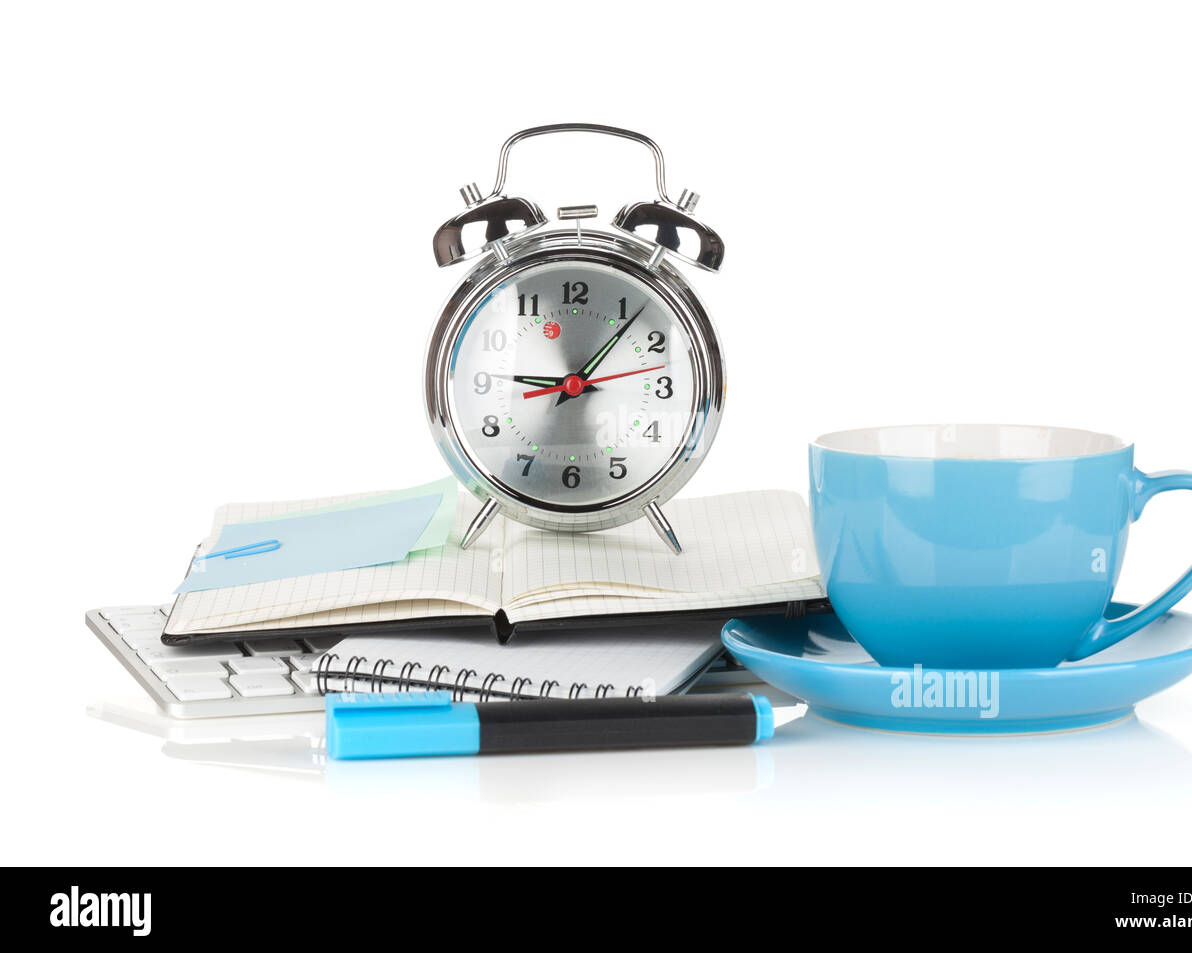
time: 9:07
